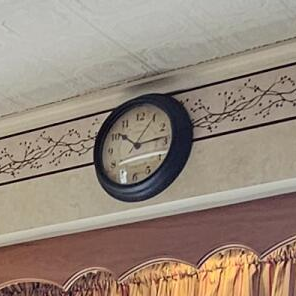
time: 10:13
